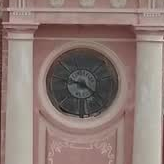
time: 9:20
